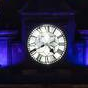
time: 4:40
